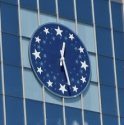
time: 12:27
